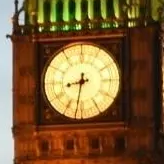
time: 8:31
